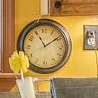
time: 11:09
